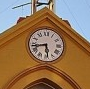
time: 5:43
